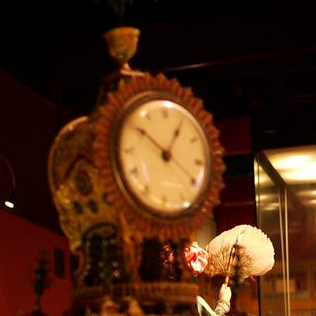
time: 12:51
